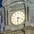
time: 6:18
